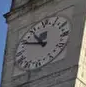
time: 10:48
